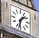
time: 1:32
